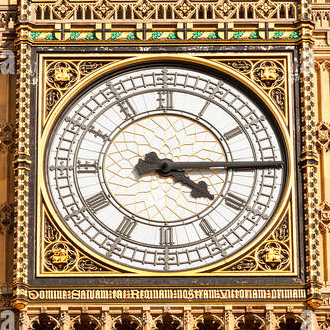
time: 4:14
